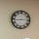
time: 2:43
